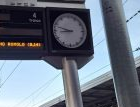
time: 8:47
